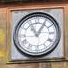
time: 11:05
